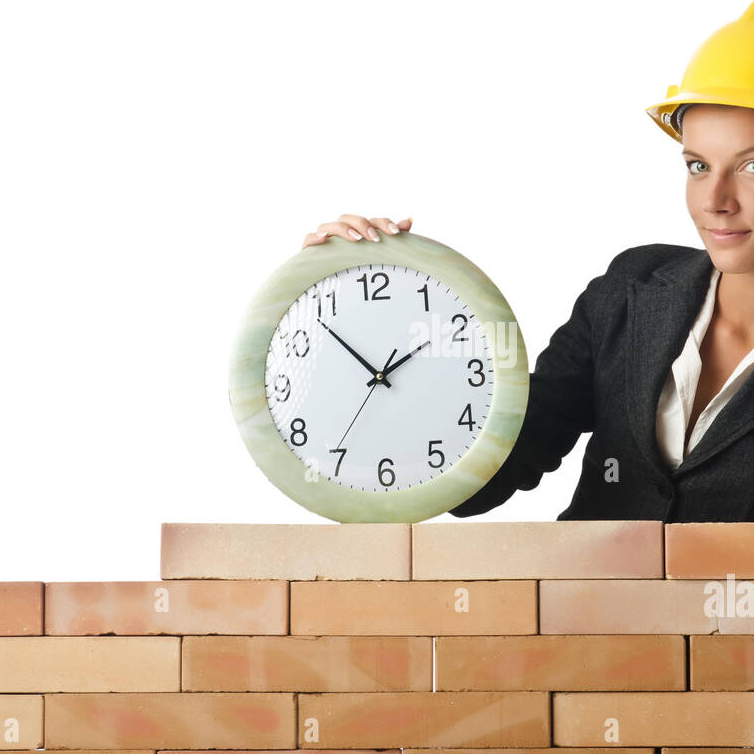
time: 1:53
